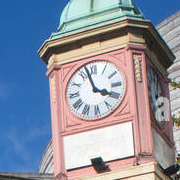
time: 3:57
